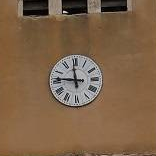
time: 11:46
